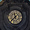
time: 11:37
